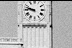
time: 9:47
